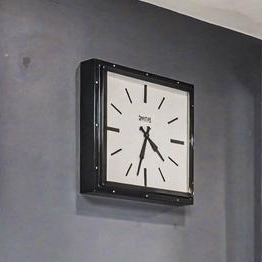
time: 4:32
